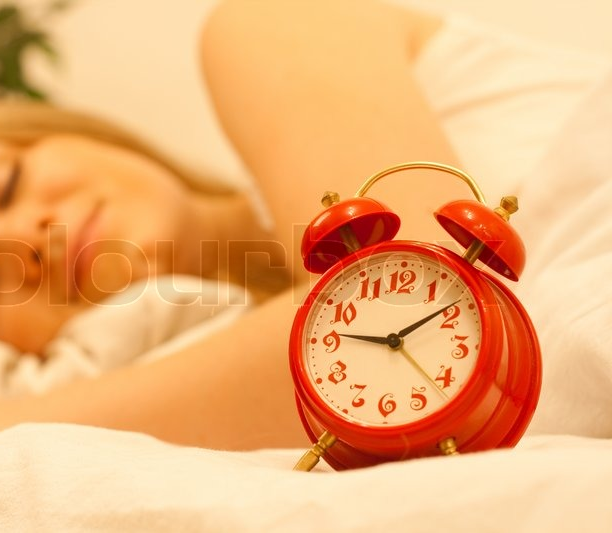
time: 9:08
